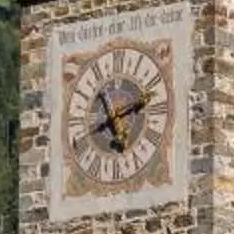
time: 11:12
